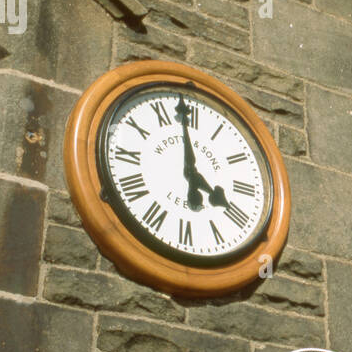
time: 3:58
